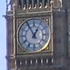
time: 12:55
